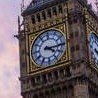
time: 4:14
